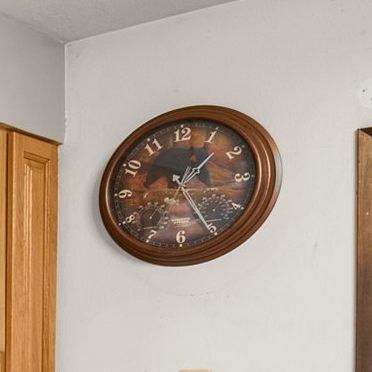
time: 1:25
